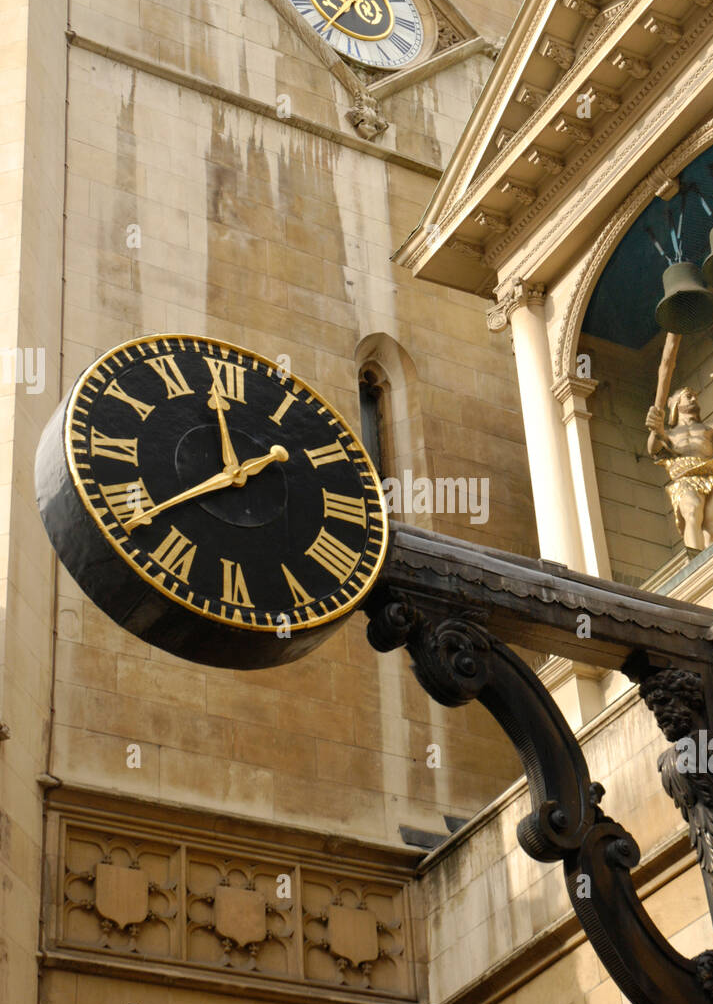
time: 11:38
